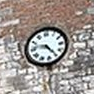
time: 4:46
